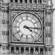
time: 4:15
